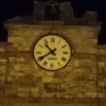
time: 10:39
